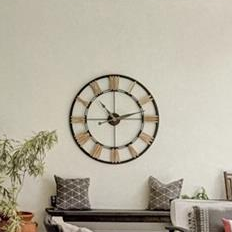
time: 11:12
